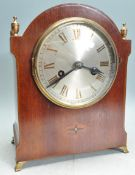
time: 3:39
